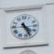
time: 4:26
